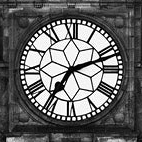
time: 7:11
